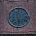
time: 5:29
